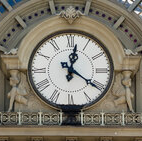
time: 12:20
